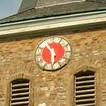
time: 5:54
